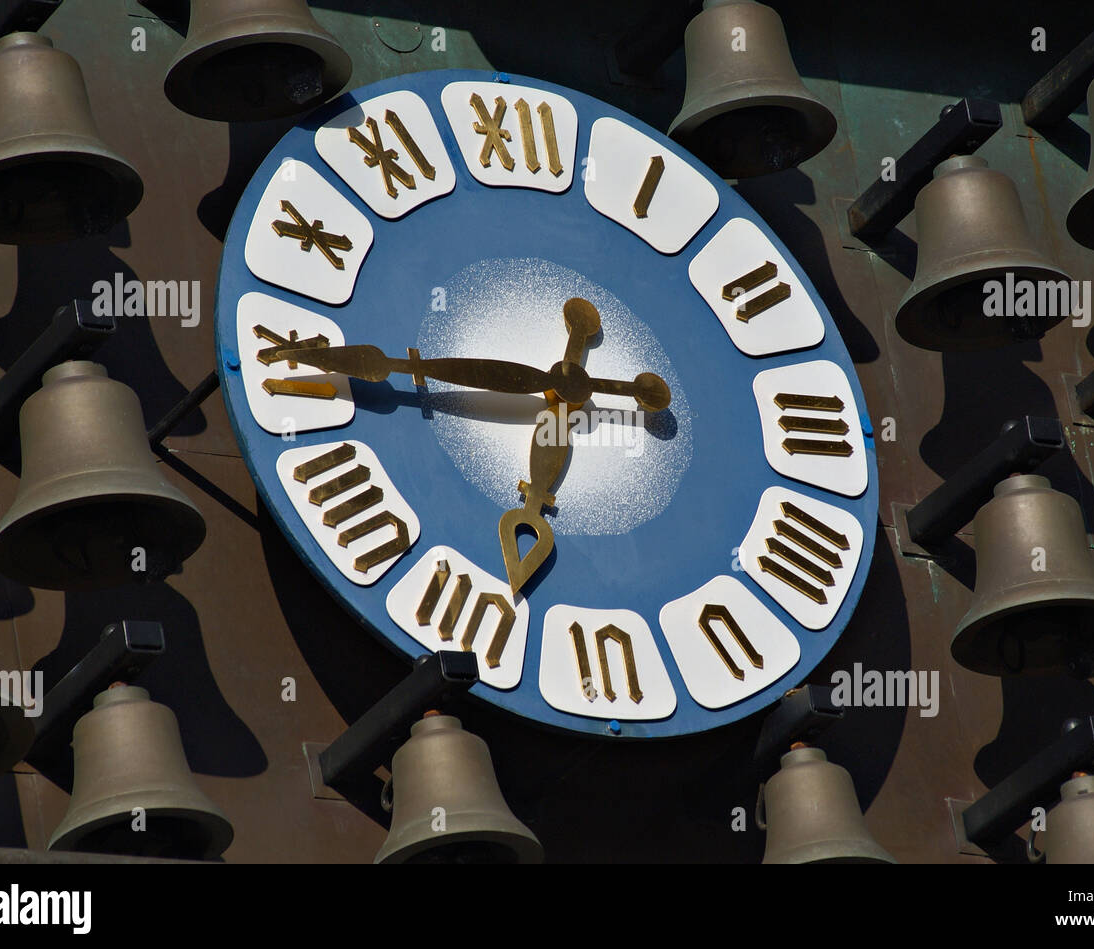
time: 6:45
